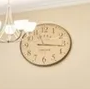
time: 3:16
